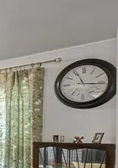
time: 11:15
